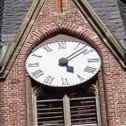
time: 5:08
